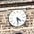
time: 4:29
